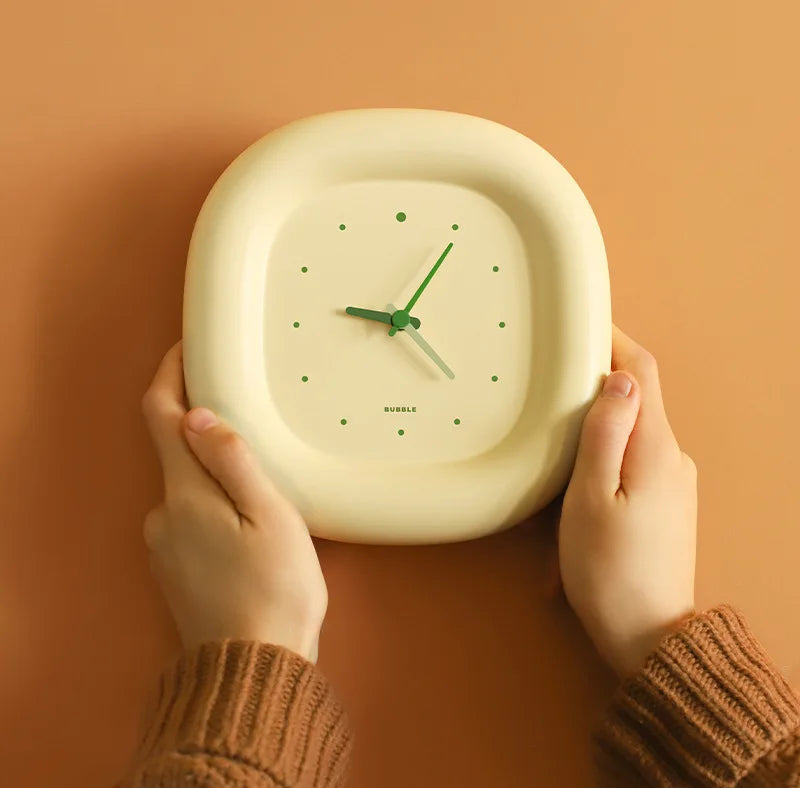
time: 9:05
